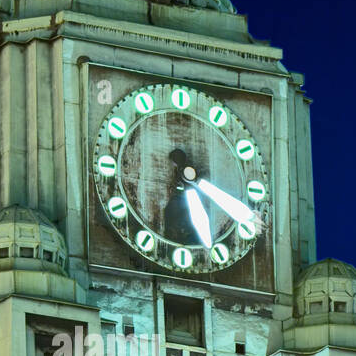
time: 5:18
